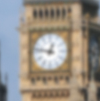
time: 12:47
